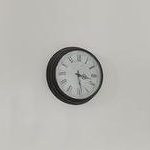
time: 3:28
